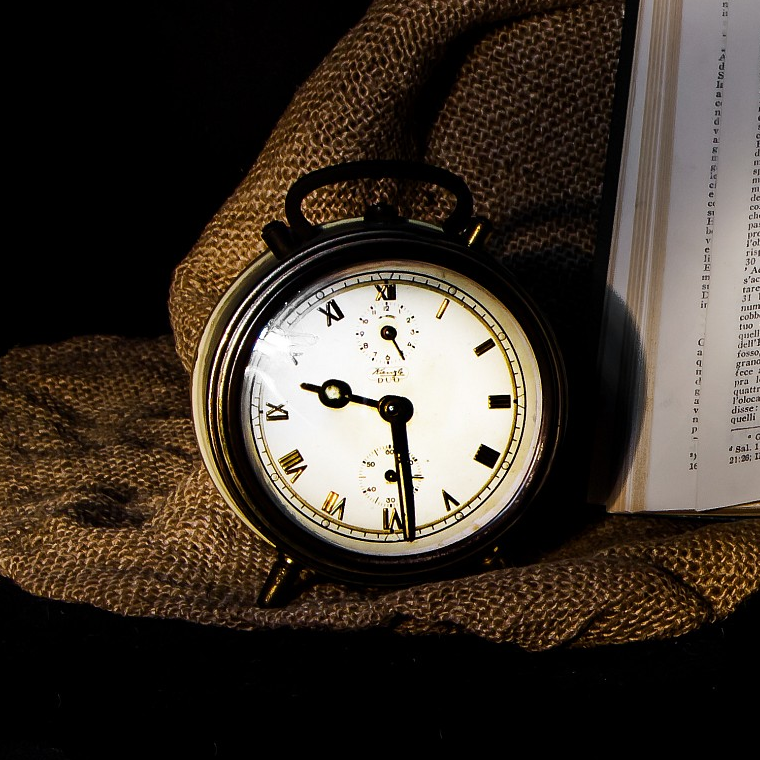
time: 9:28
